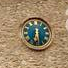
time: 6:29
